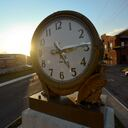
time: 5:14
